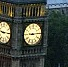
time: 9:14
